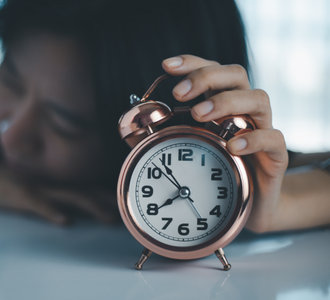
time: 7:53
